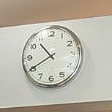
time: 10:40
